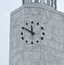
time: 11:50
